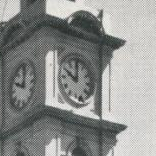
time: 10:00
